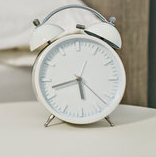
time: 5:42
